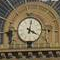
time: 4:02
